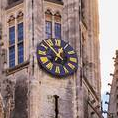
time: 12:52
